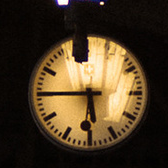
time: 5:45
